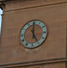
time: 4:59
